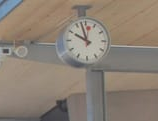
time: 9:57
